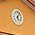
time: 6:06
